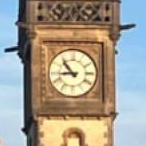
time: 8:53
